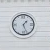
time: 1:26
